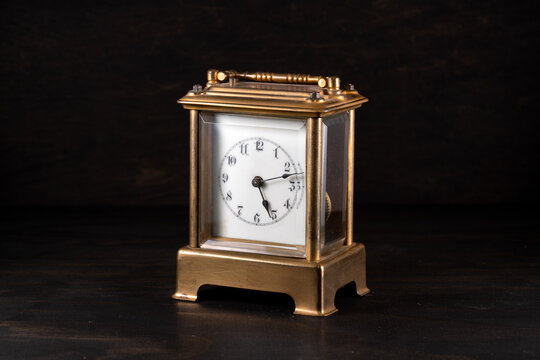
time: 5:12
